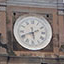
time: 5:41
